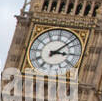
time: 3:07
